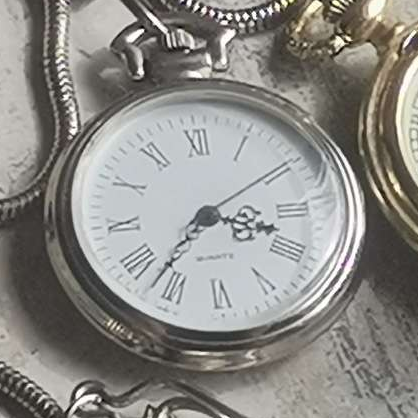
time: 3:37
